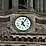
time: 5:05
